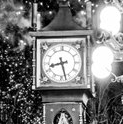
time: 8:27
